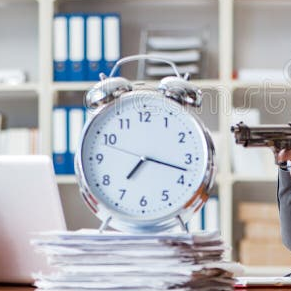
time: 7:17
